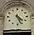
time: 4:26
